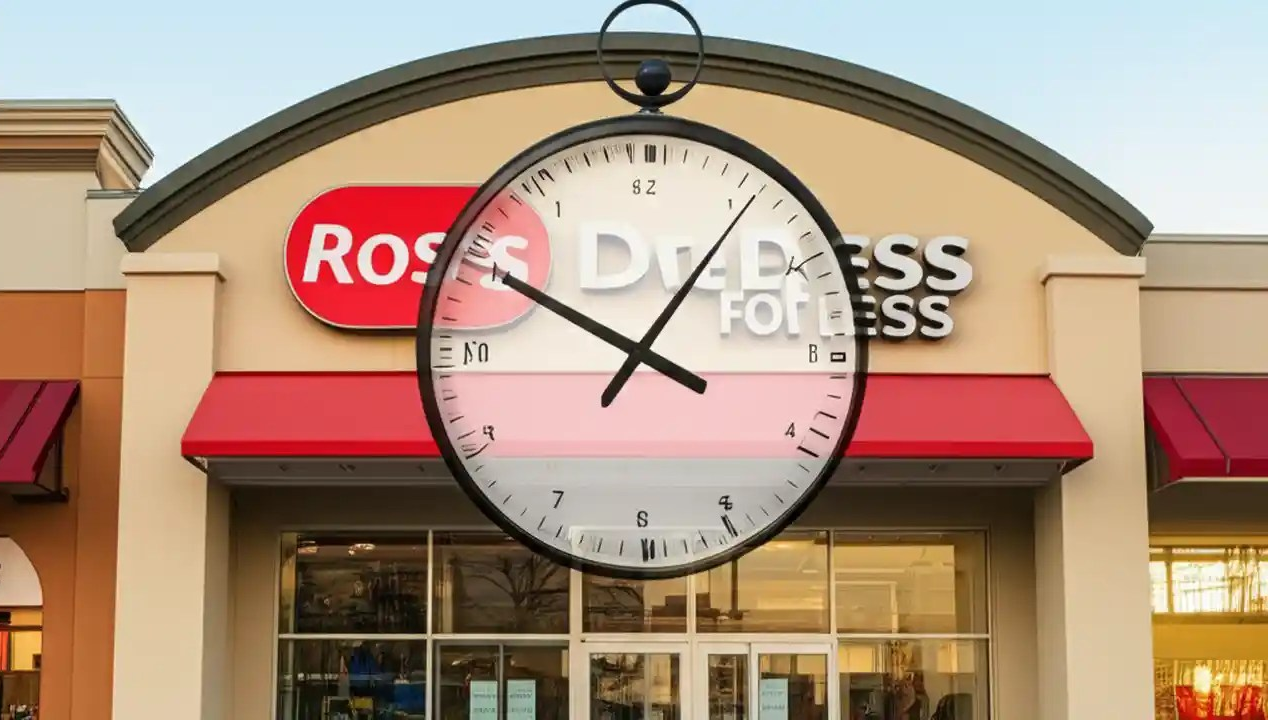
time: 10:05
